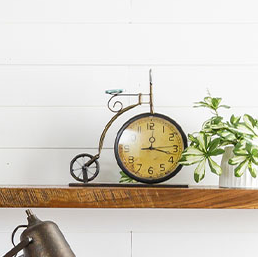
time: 12:18
